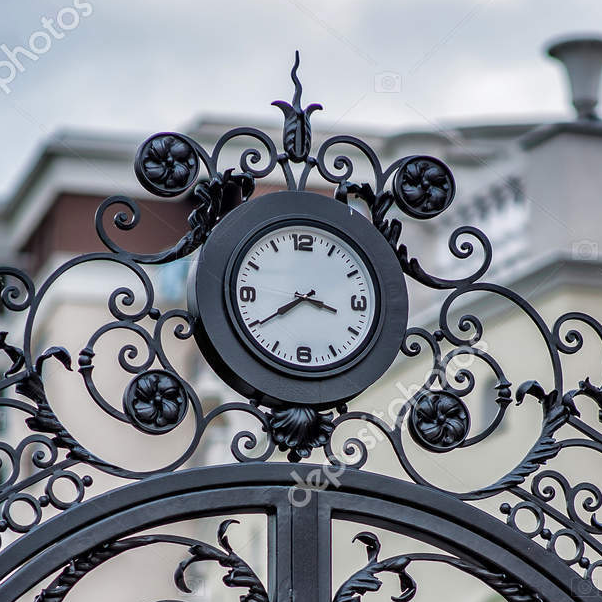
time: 3:39
